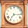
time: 7:15
